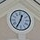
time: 12:34
